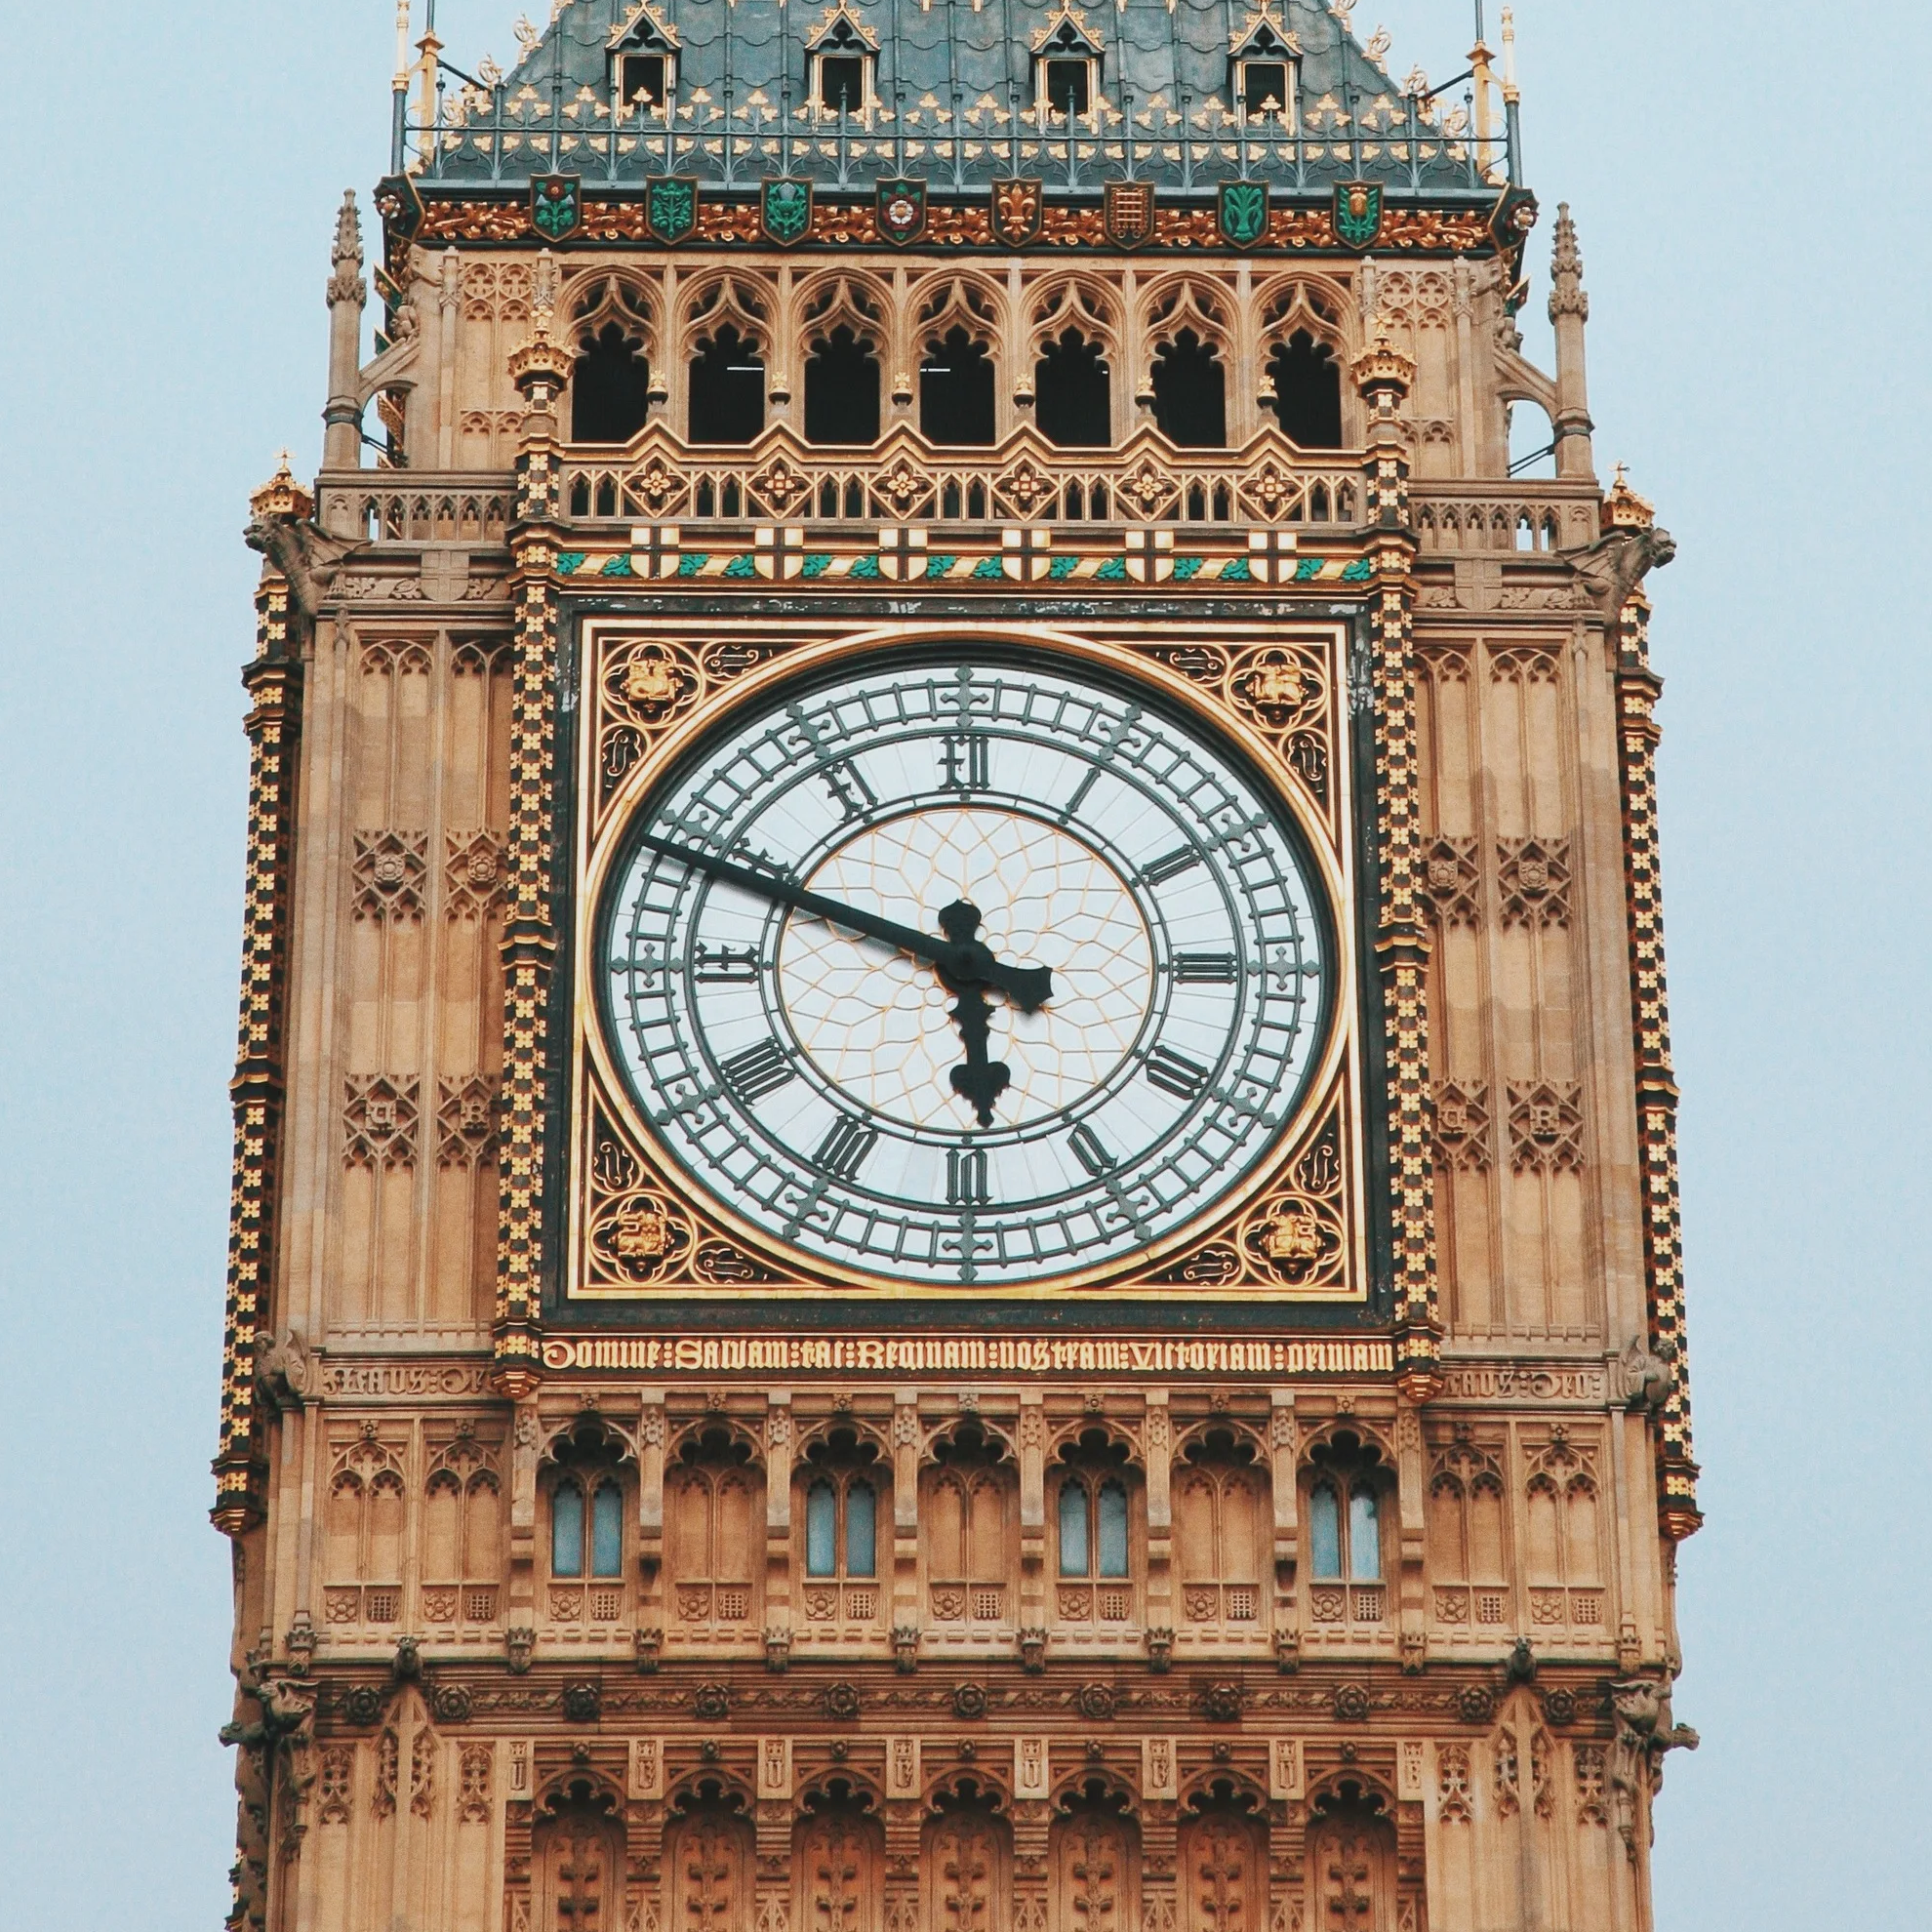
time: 5:48
